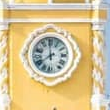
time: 7:59
